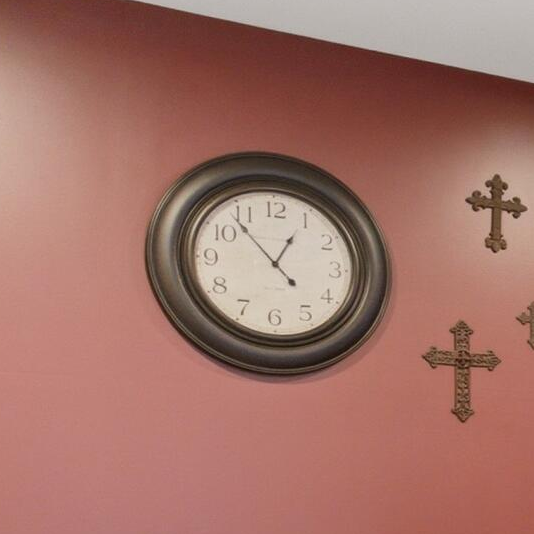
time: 12:53
